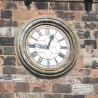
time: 12:45
